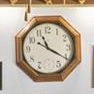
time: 11:20
